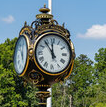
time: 11:53
